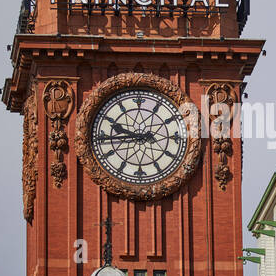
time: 9:44
